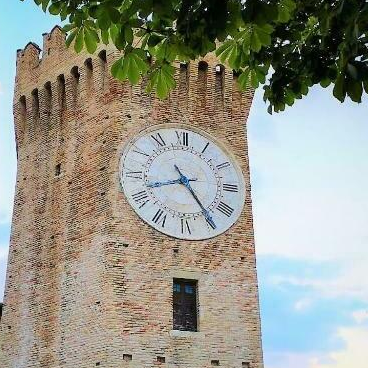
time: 8:24
